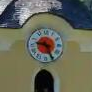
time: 9:25
